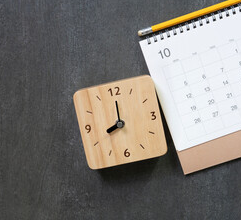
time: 8:00
